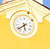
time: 5:38
